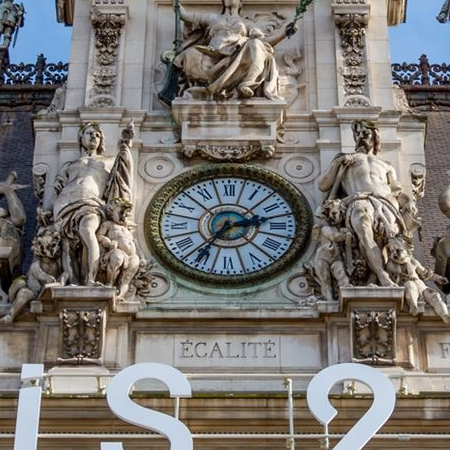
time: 2:35
